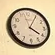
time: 4:05
